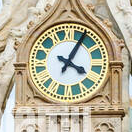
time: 4:04
